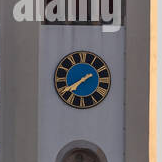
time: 7:40
